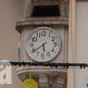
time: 5:38
